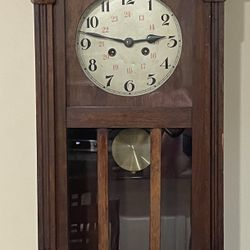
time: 2:47
